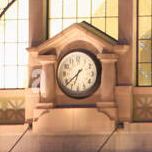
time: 6:38
